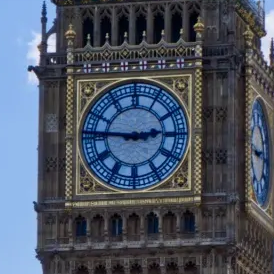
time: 2:46
